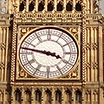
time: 3:46
